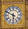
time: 5:49
